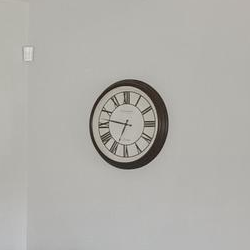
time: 6:46
